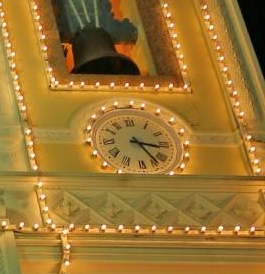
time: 3:24
